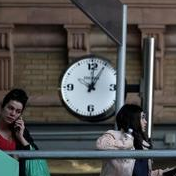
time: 12:05
